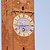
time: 6:14
